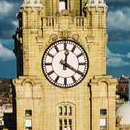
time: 12:20
